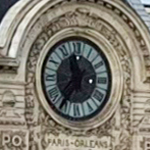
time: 11:36
